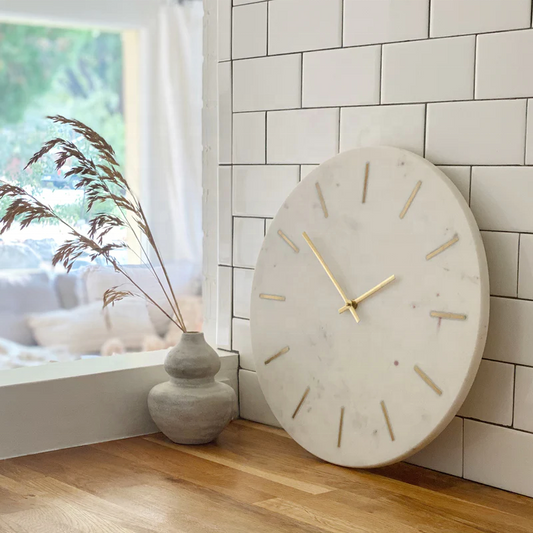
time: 1:51
